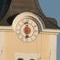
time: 5:59
